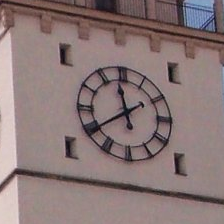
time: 11:39
